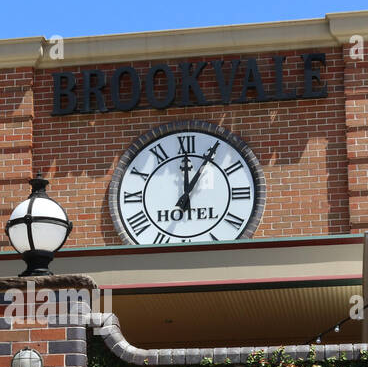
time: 12:05
